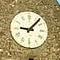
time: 9:07
